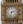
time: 2:32
